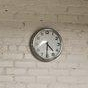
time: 4:30
